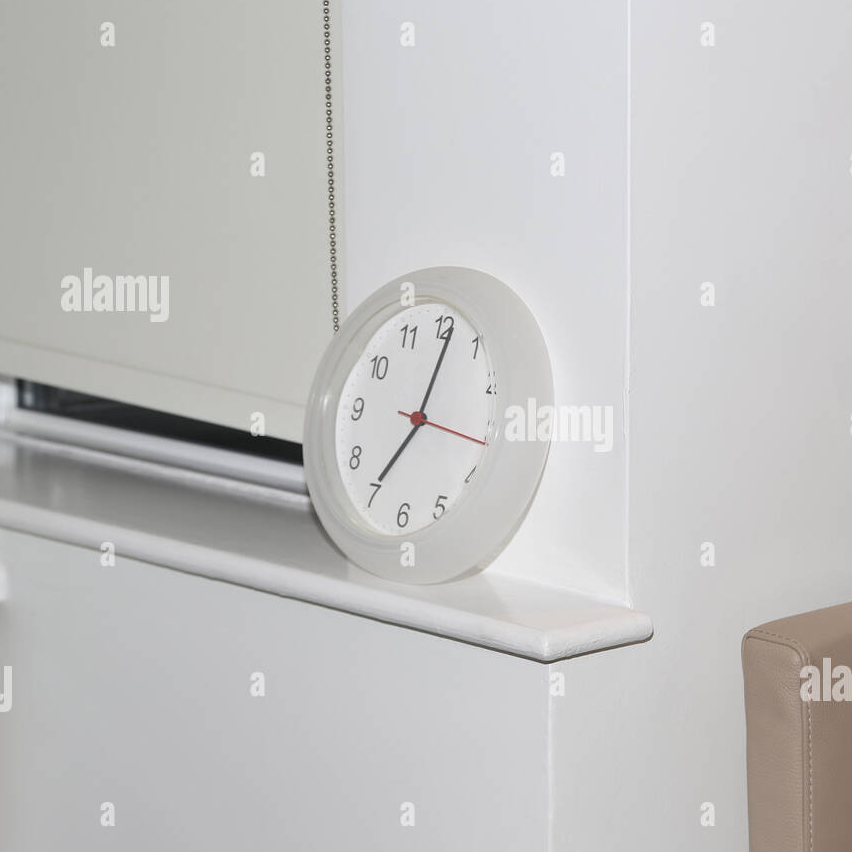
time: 7:01
